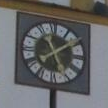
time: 11:08
